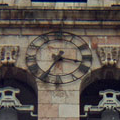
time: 7:17
